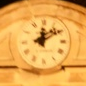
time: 12:09
